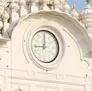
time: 9:00
